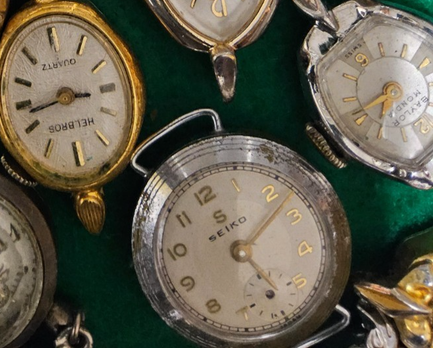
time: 5:07
